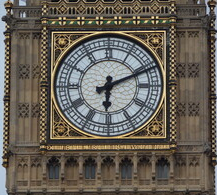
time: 6:11
